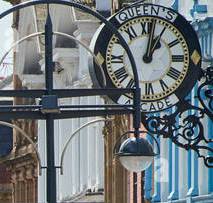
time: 1:02
